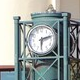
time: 2:30
